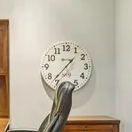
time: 1:37
